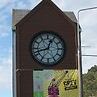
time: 12:42
